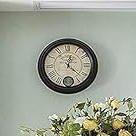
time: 12:22
